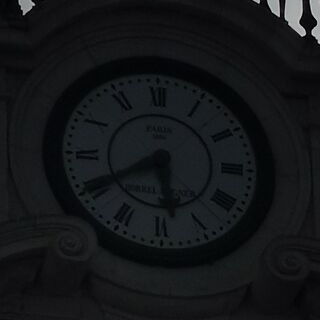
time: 5:40
